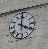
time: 4:00
